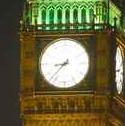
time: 8:37
